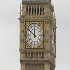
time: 11:50
